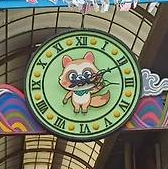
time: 3:10
